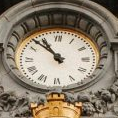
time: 10:52
